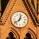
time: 12:37
